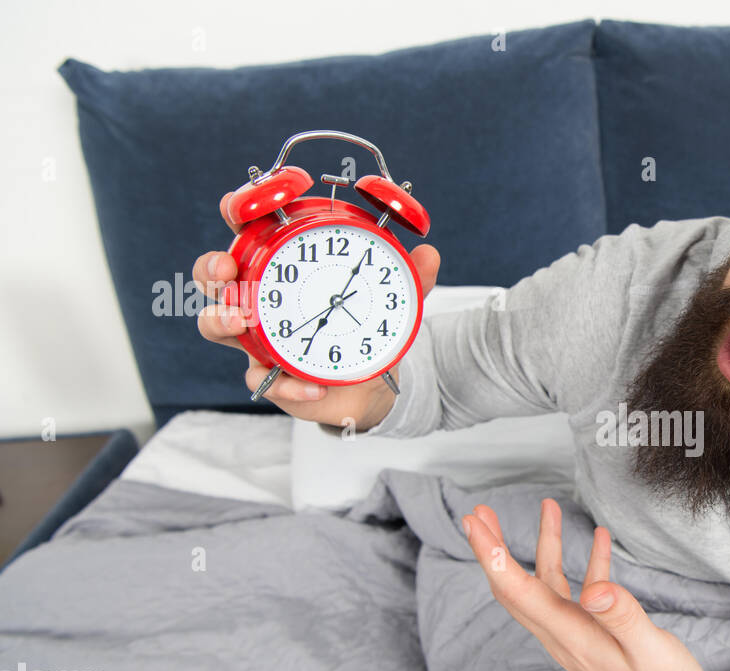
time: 7:05
